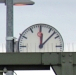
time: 12:07
